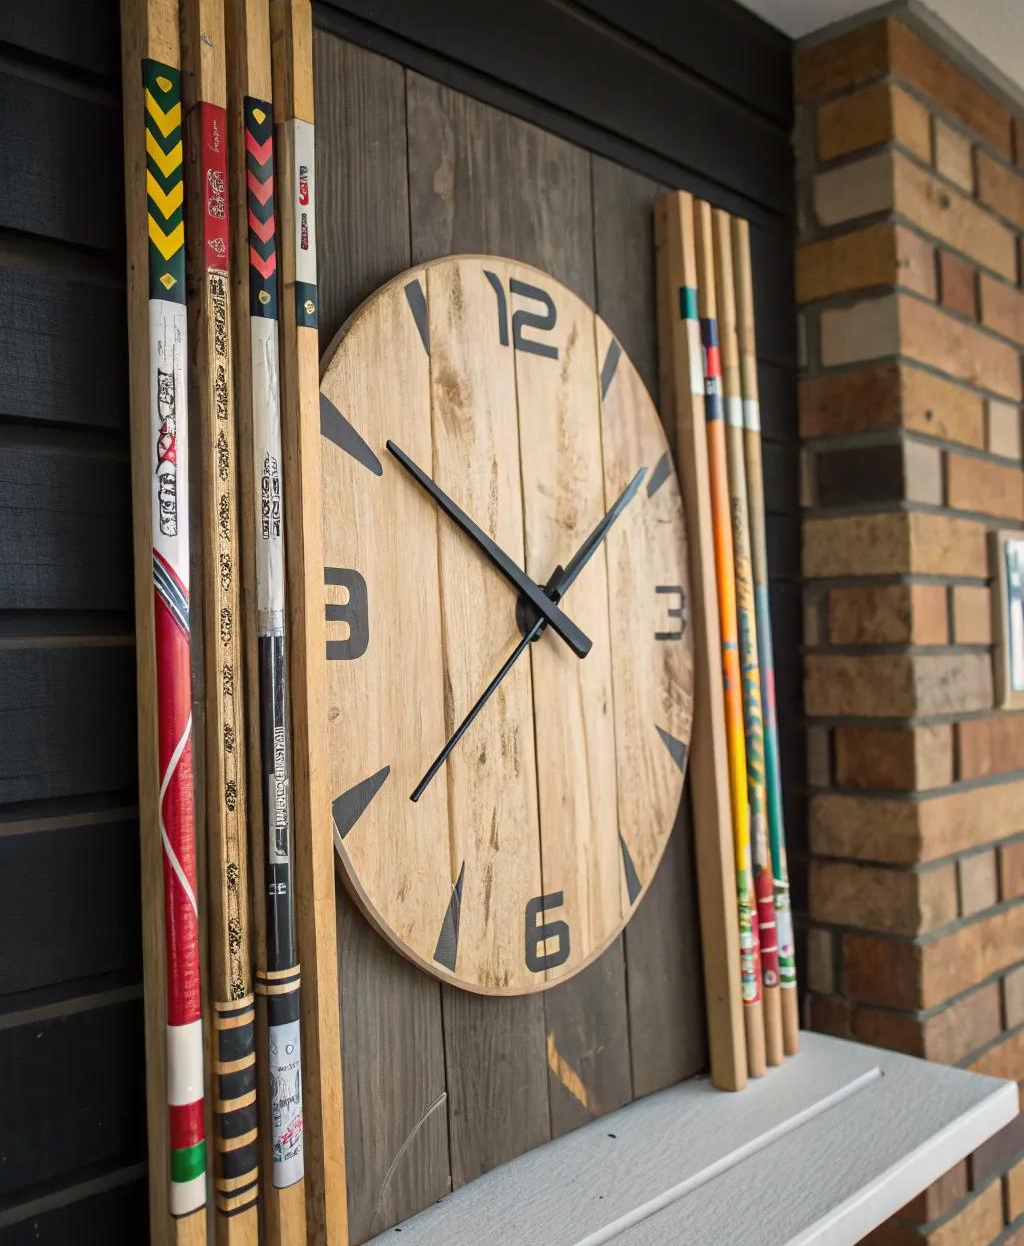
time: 1:50
